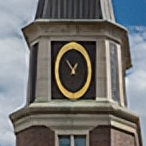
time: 12:52
